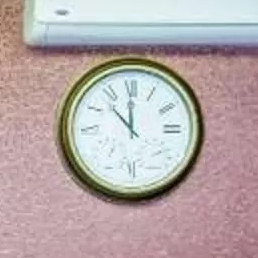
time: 11:52
